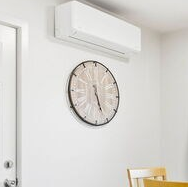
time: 5:26
